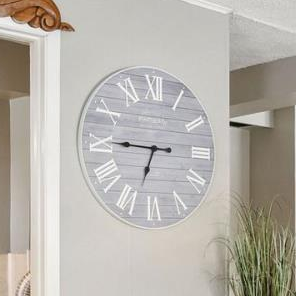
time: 6:45
